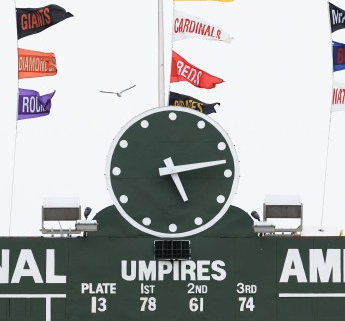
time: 5:13
